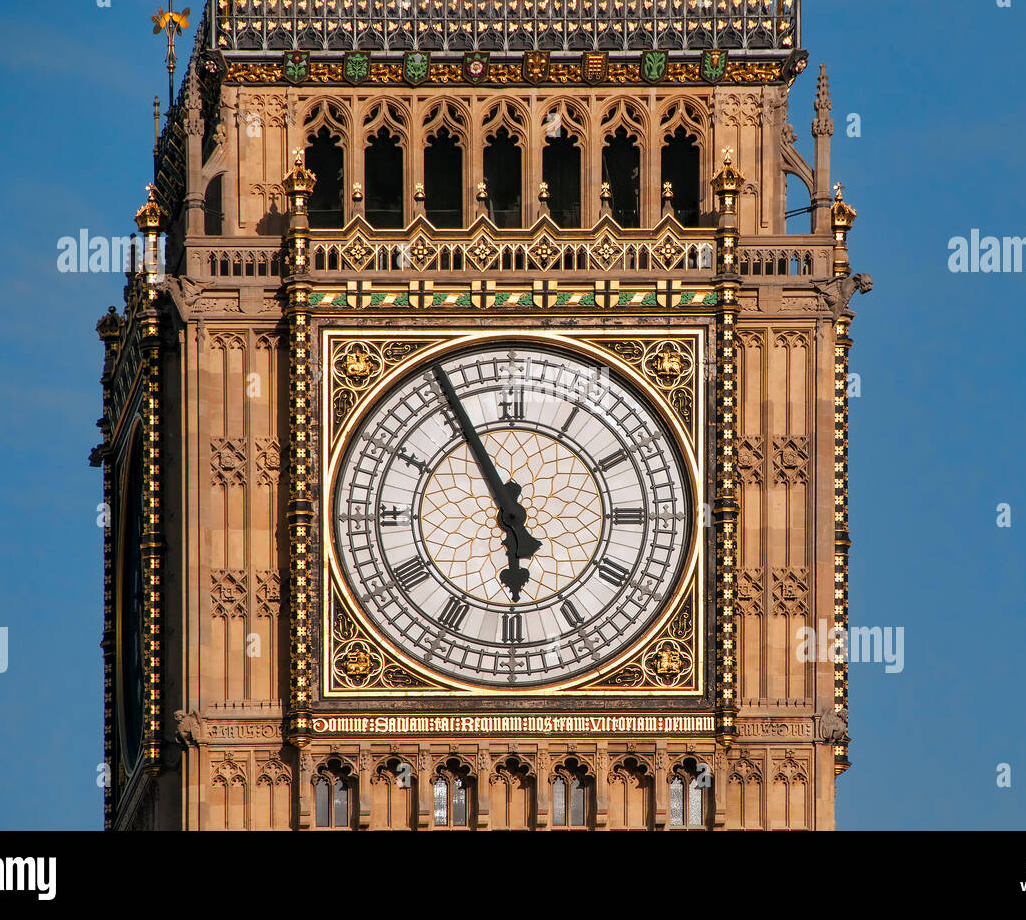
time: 5:55
